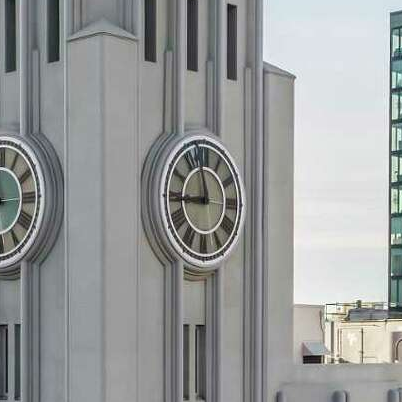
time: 11:44
